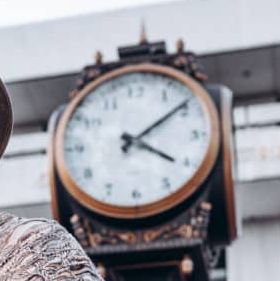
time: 4:08
